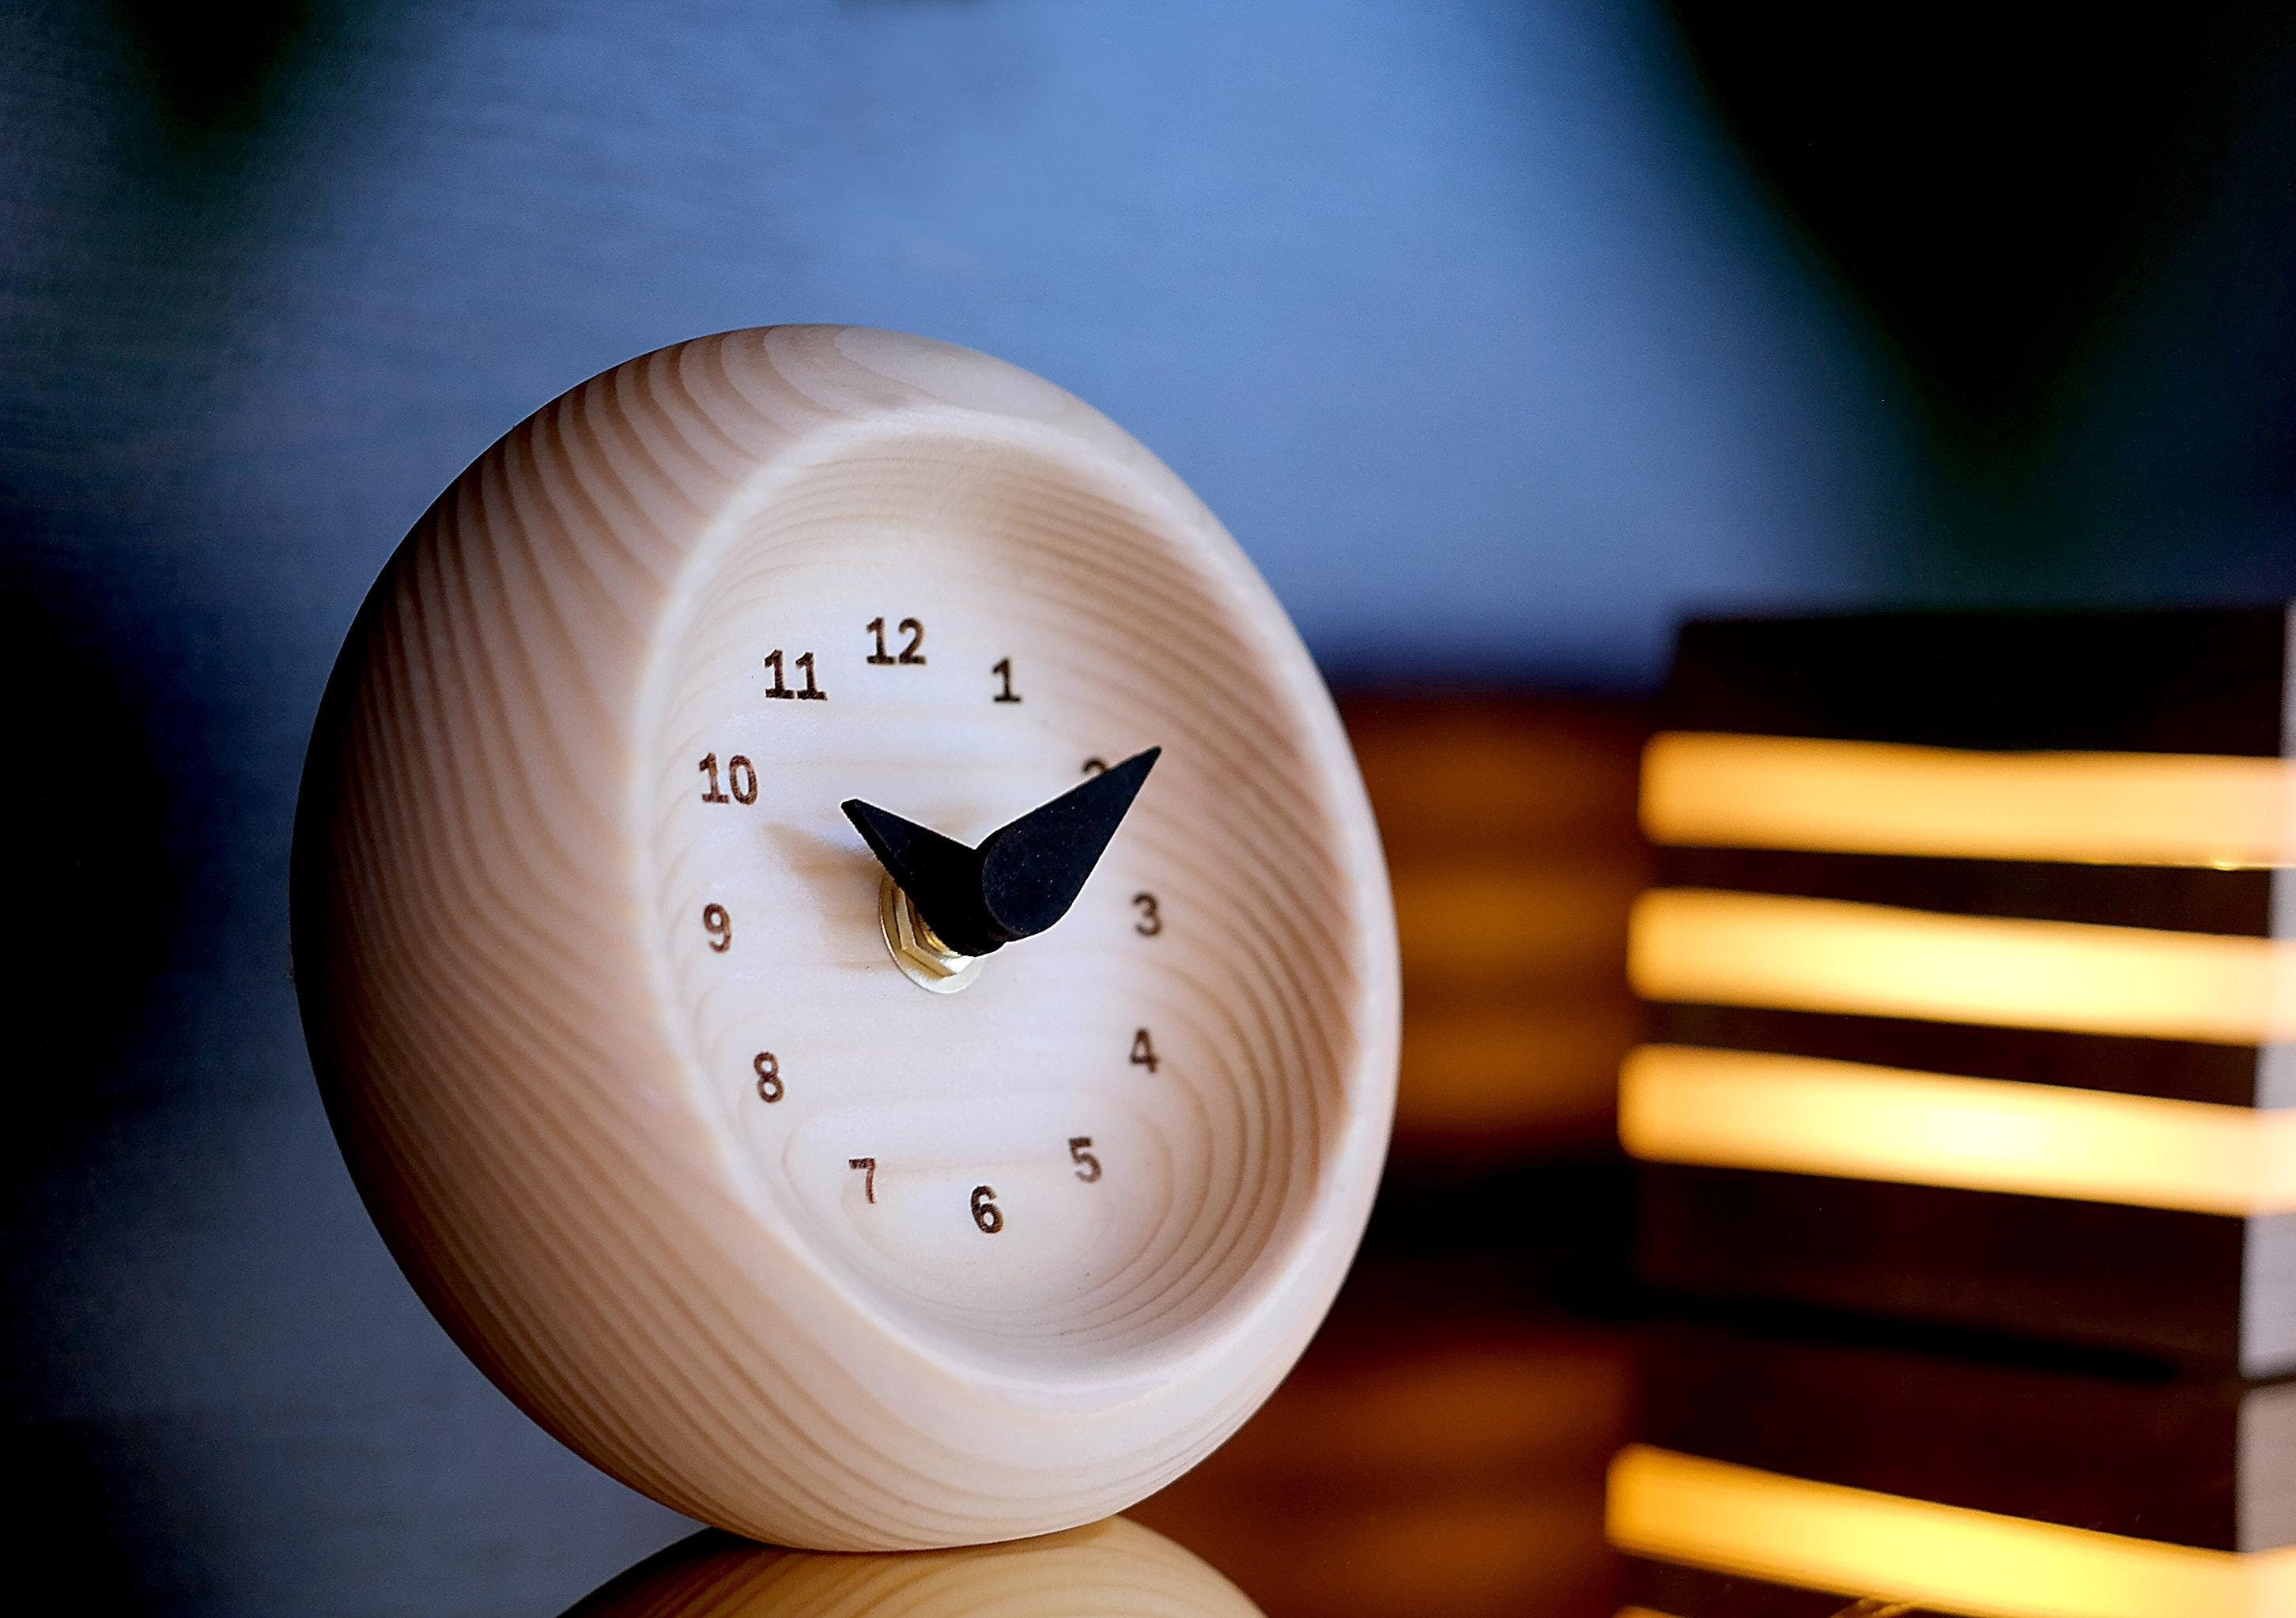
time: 10:10
